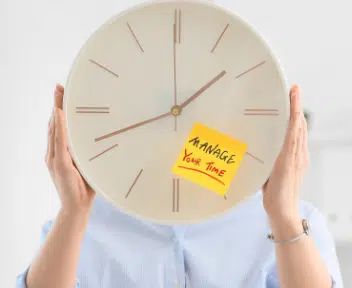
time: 1:41
